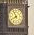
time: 7:55
